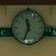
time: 11:33
